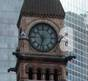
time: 10:32
